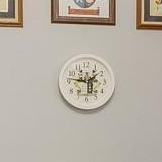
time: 1:46
